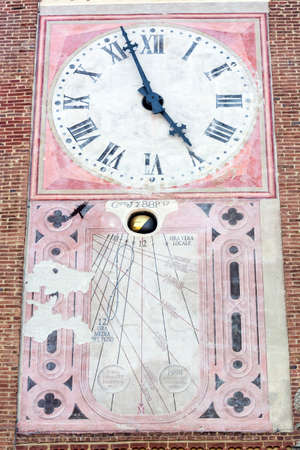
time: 4:56
